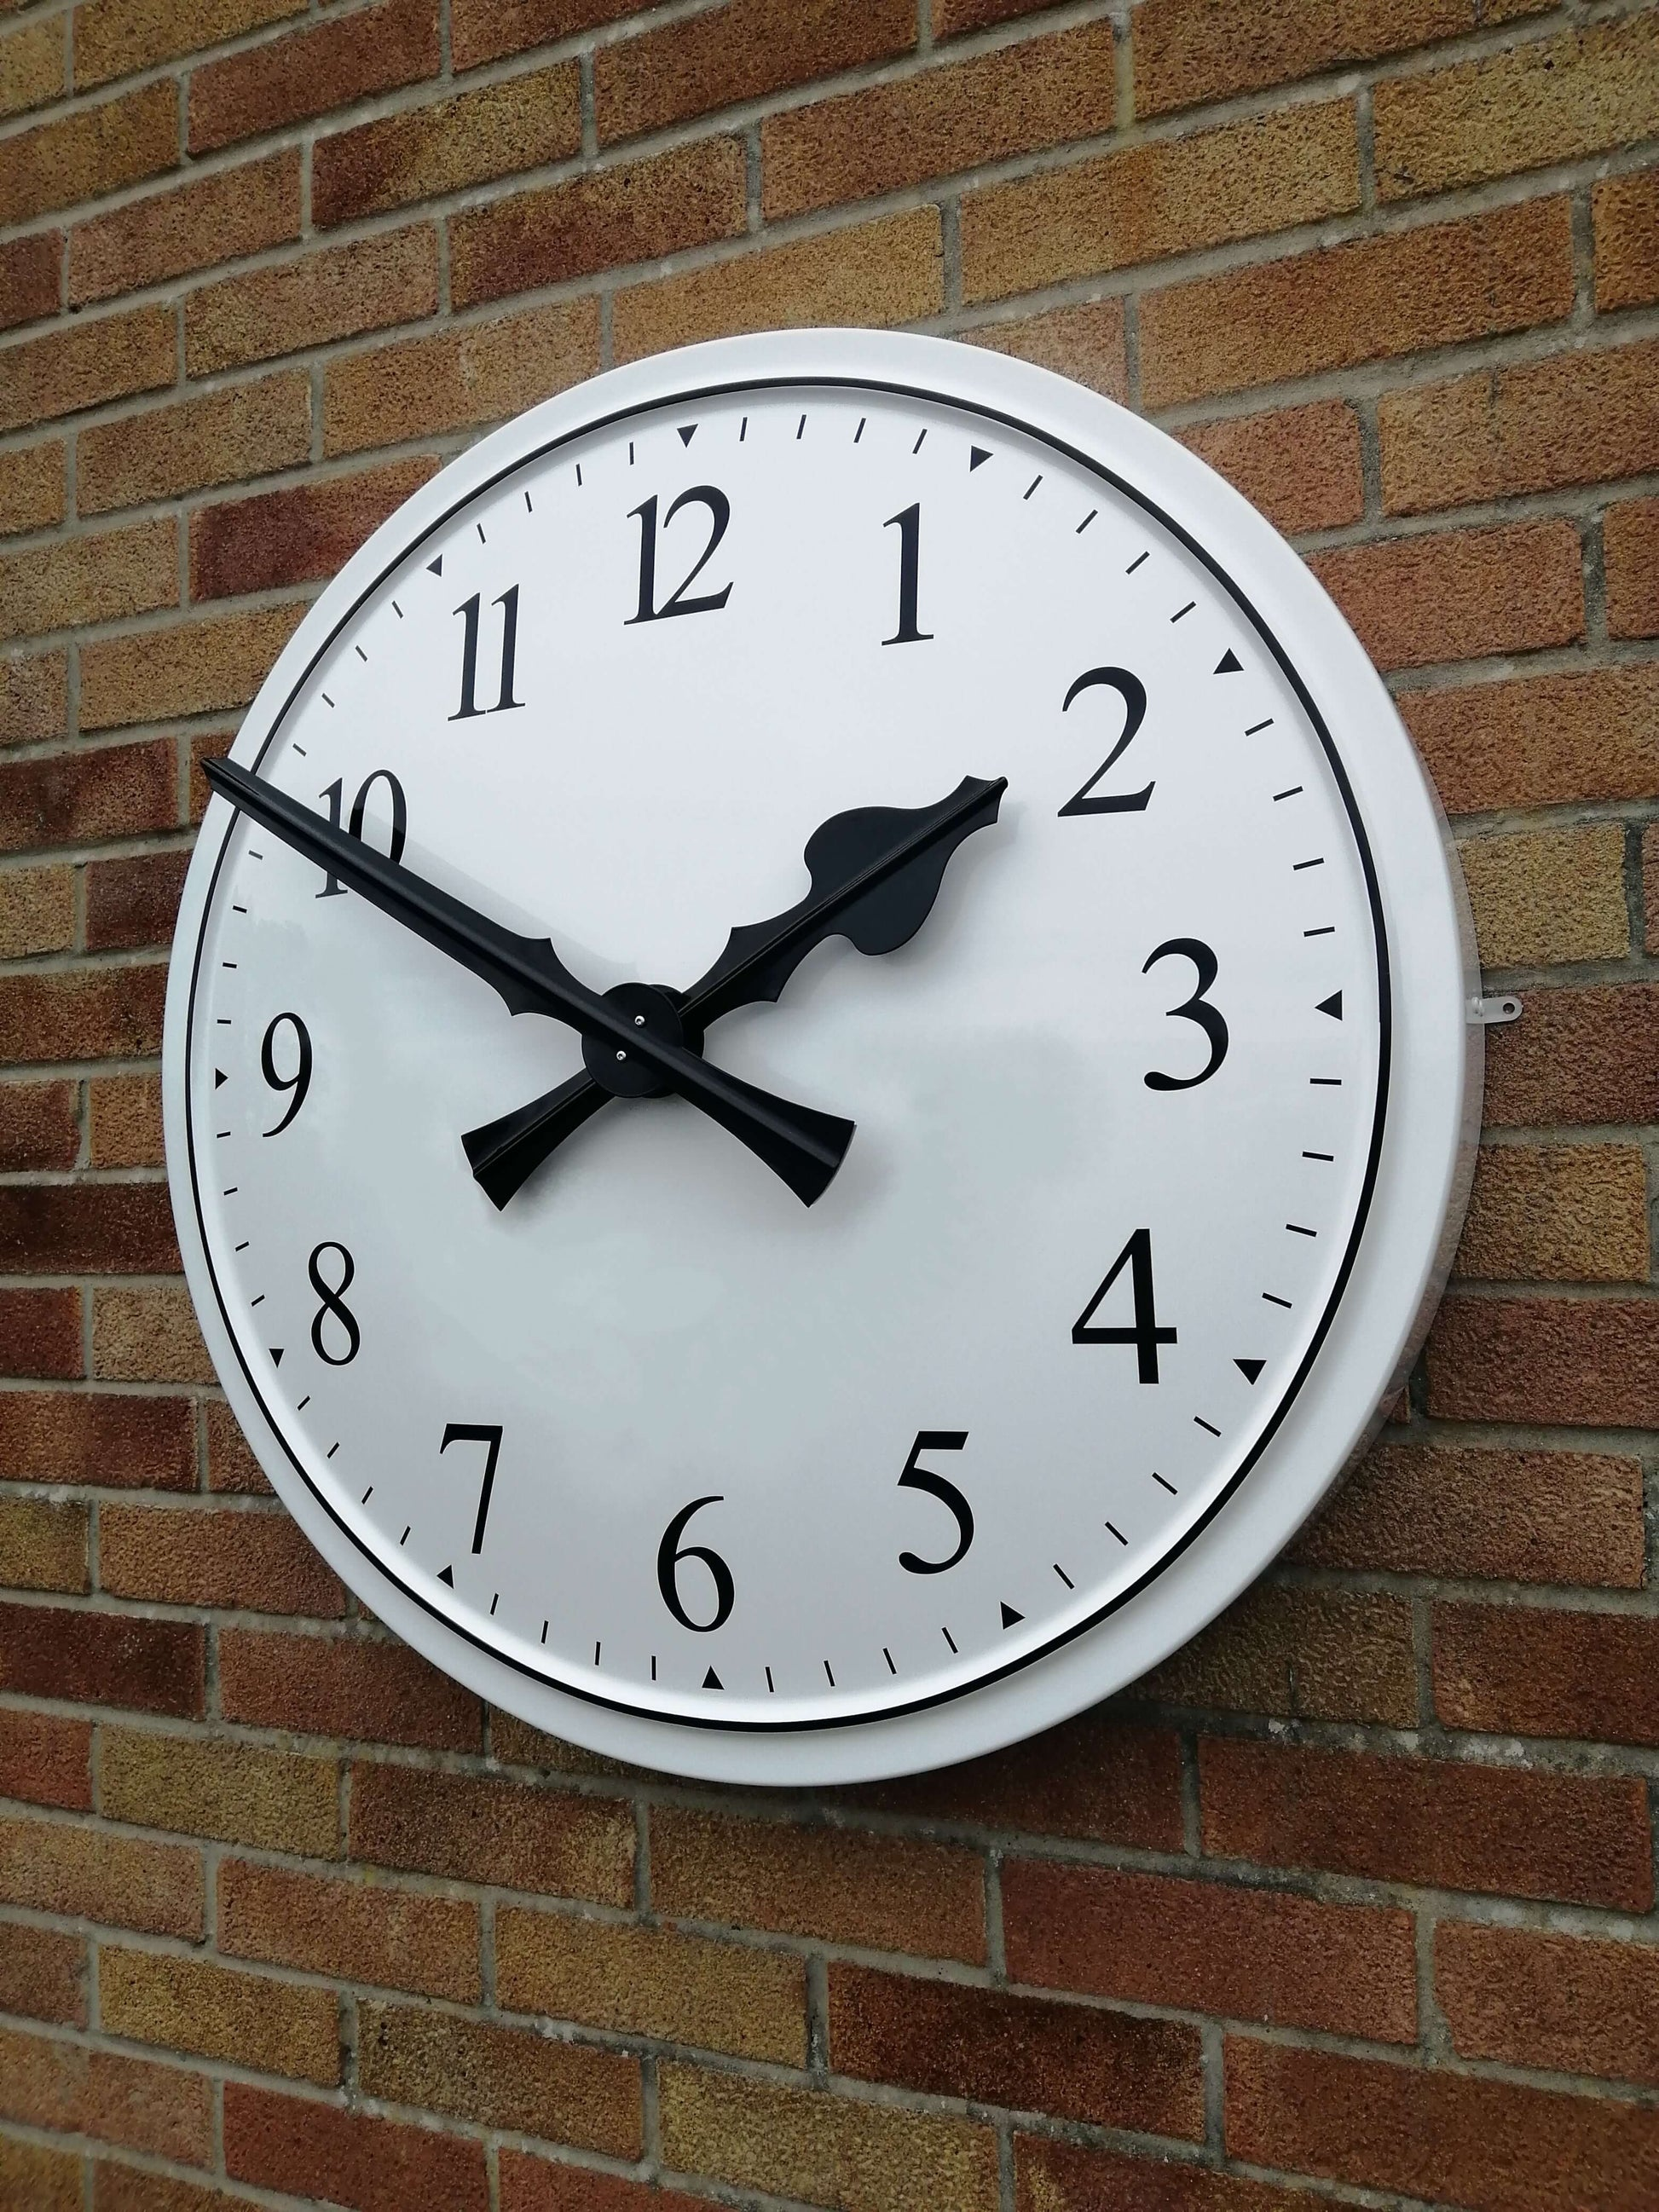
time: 1:50
